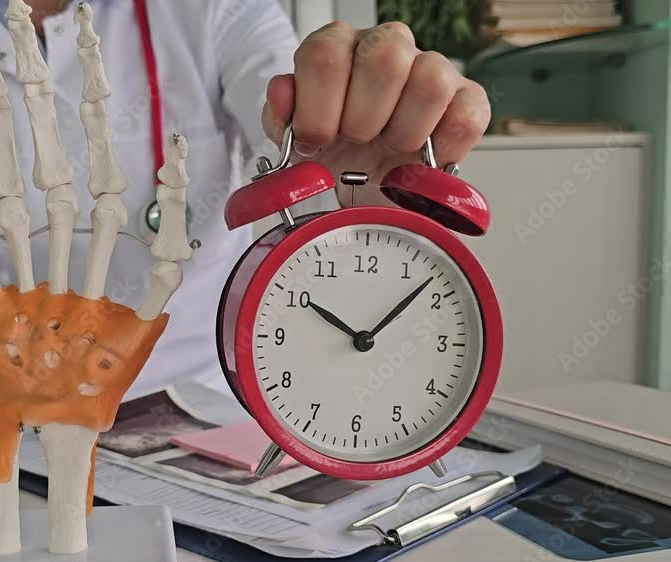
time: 10:07
